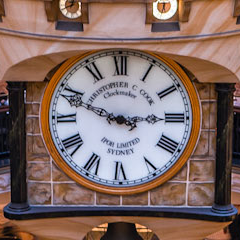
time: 2:48
